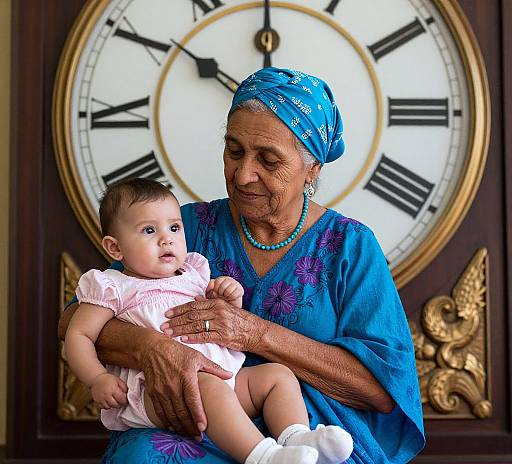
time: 11:50
